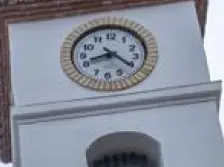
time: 8:20
